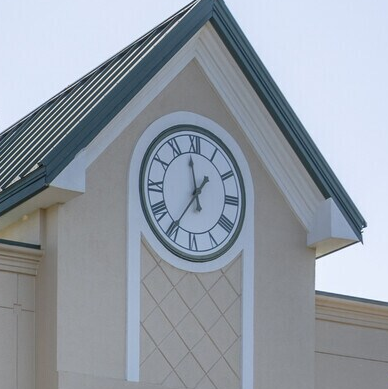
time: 11:35
